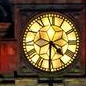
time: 4:30
